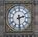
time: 2:29
